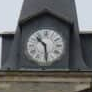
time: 10:28
